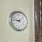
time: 8:46
